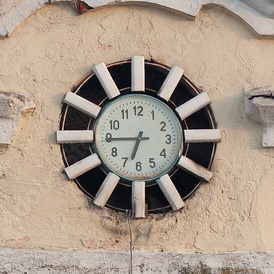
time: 6:44
